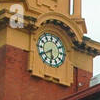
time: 5:39
